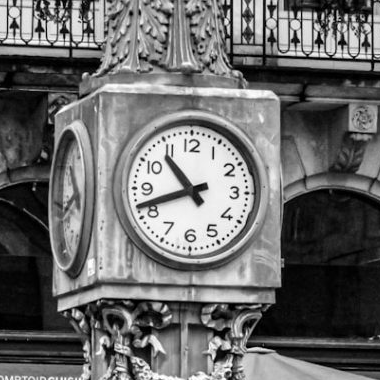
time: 10:41
